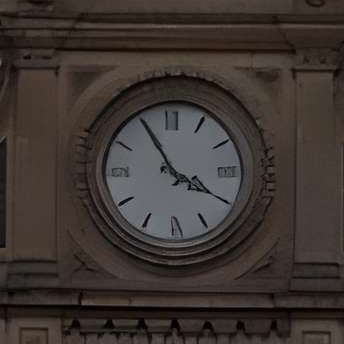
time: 3:55
